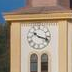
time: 10:17
